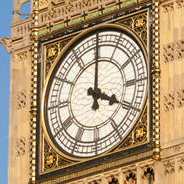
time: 4:00
